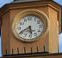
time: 5:40
